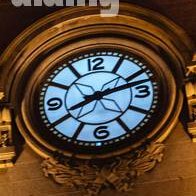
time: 8:12
